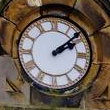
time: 2:08
